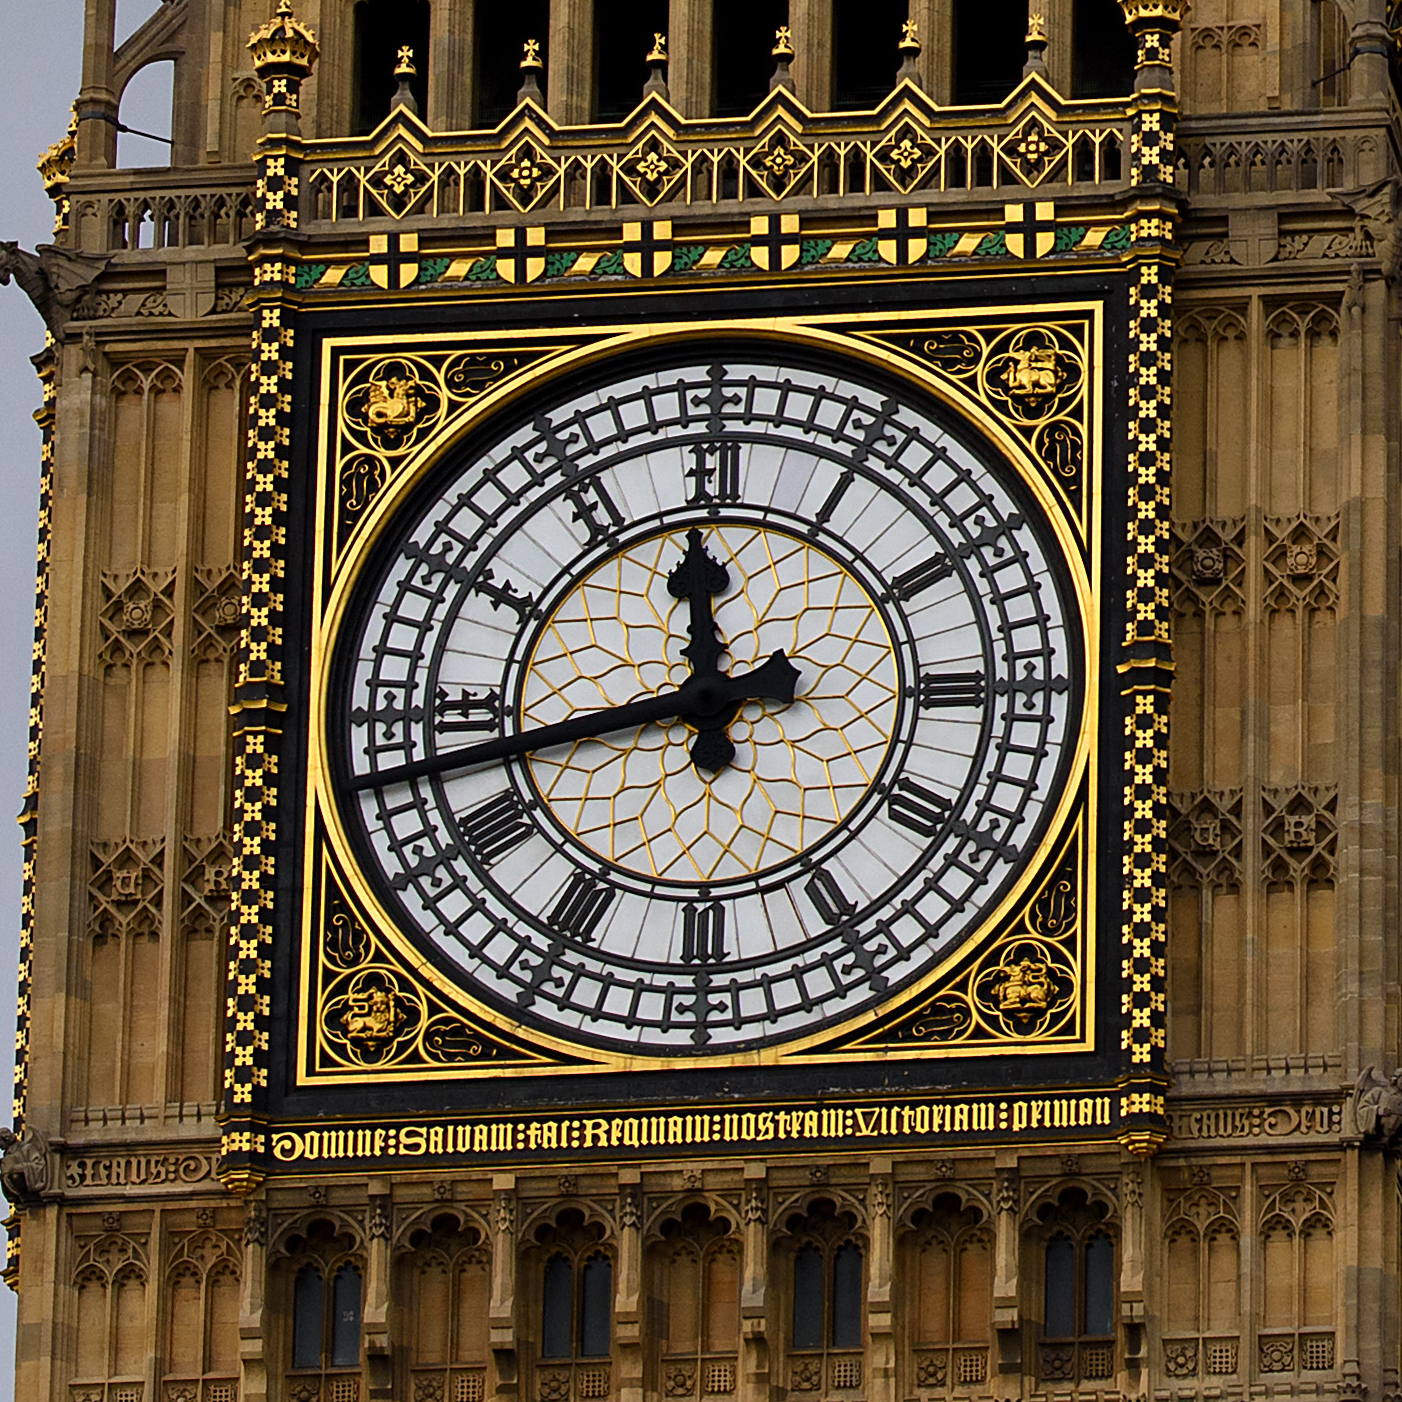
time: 11:42
